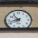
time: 10:42
